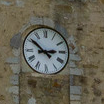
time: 2:51
